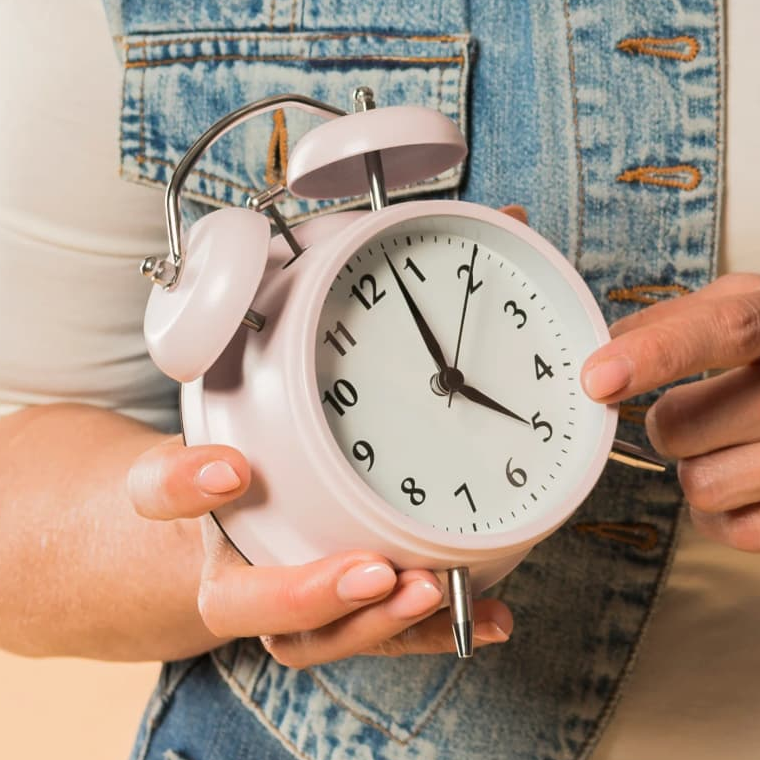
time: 3:58
